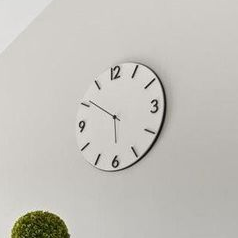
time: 5:50
